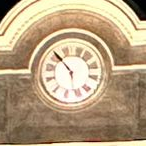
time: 10:26
